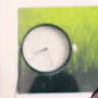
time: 8:26
